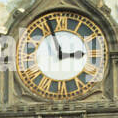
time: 2:56
